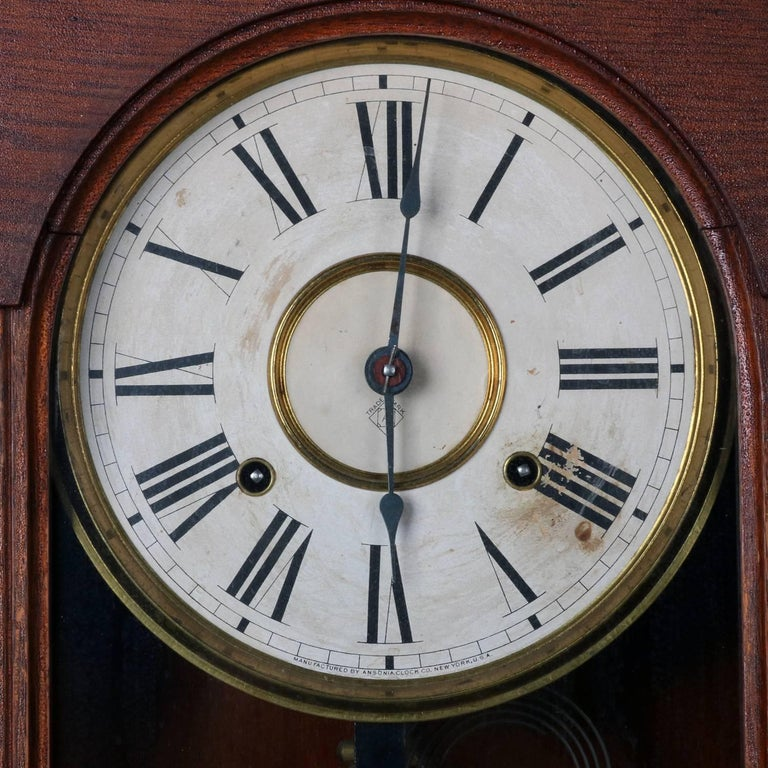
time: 6:01
